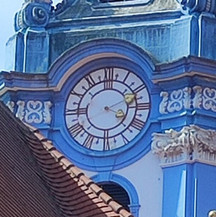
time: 4:10
